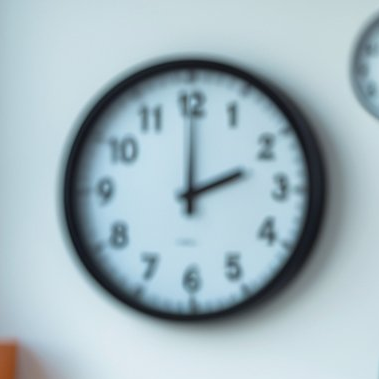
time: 2:00
